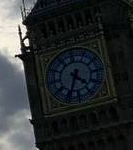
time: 4:34
